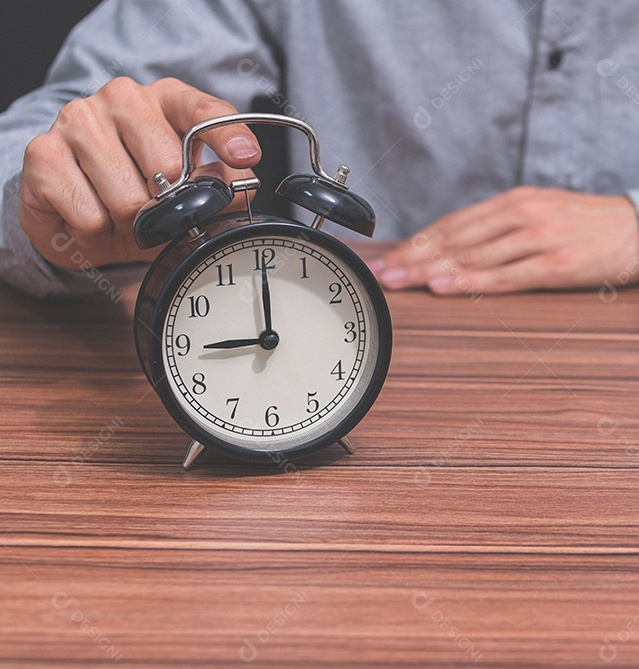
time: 9:00
